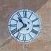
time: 10:38
